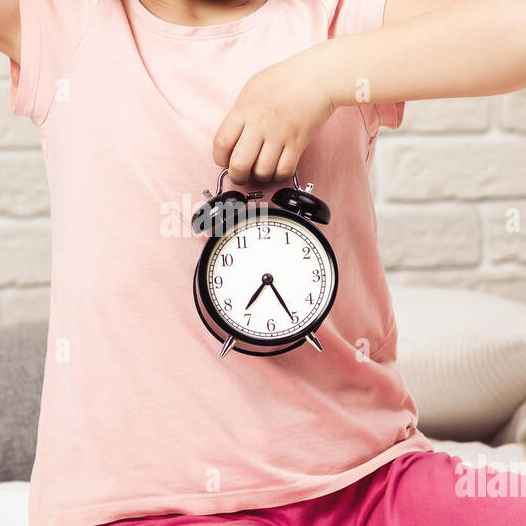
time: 7:25
